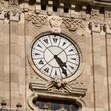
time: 4:25
